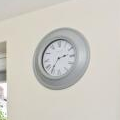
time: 2:35
